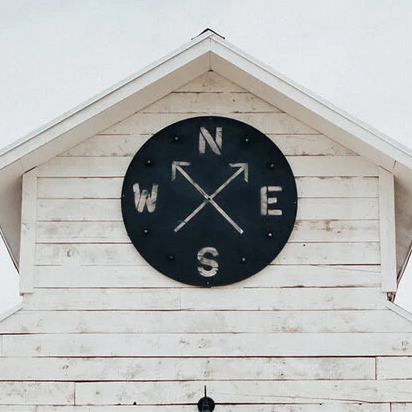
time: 7:22
